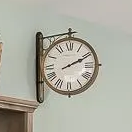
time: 2:10
